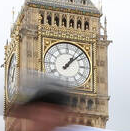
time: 1:07
